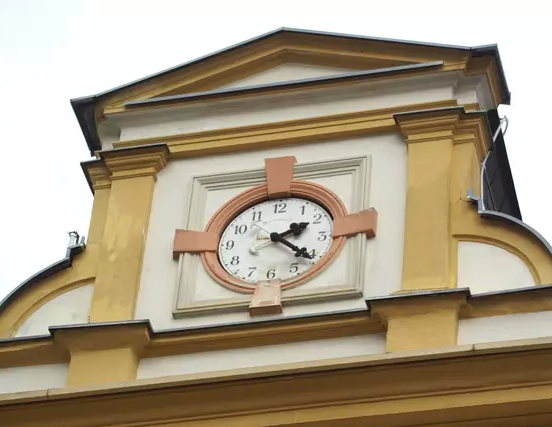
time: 2:21
